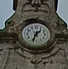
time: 1:33
